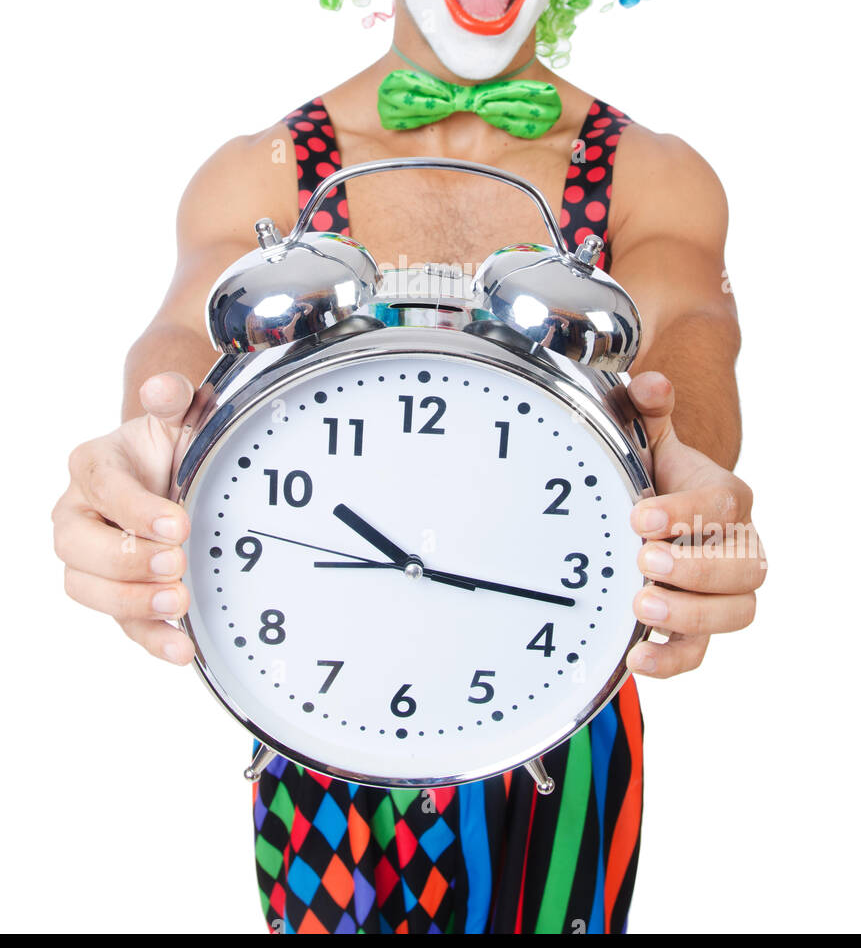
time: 10:17
